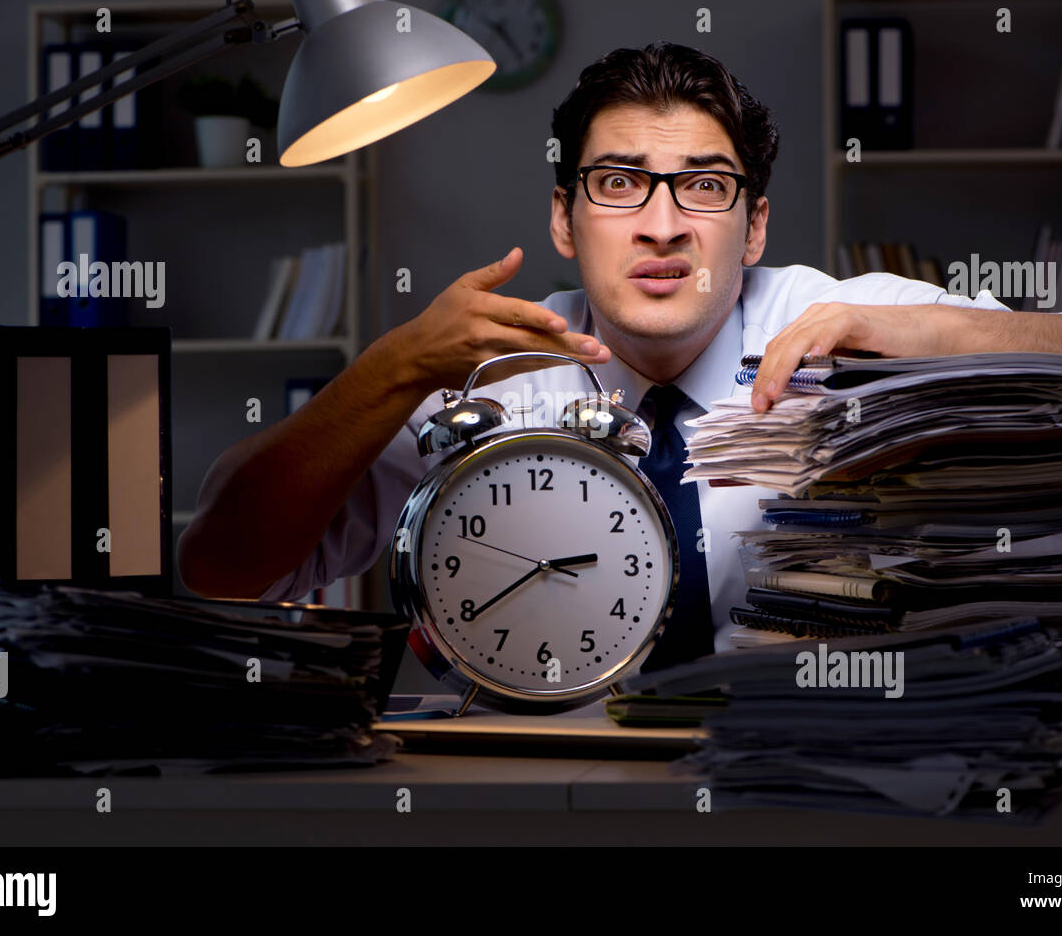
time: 2:39
